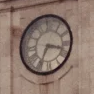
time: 3:34
